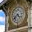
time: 4:37
